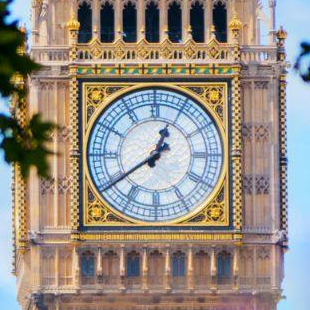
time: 12:39
